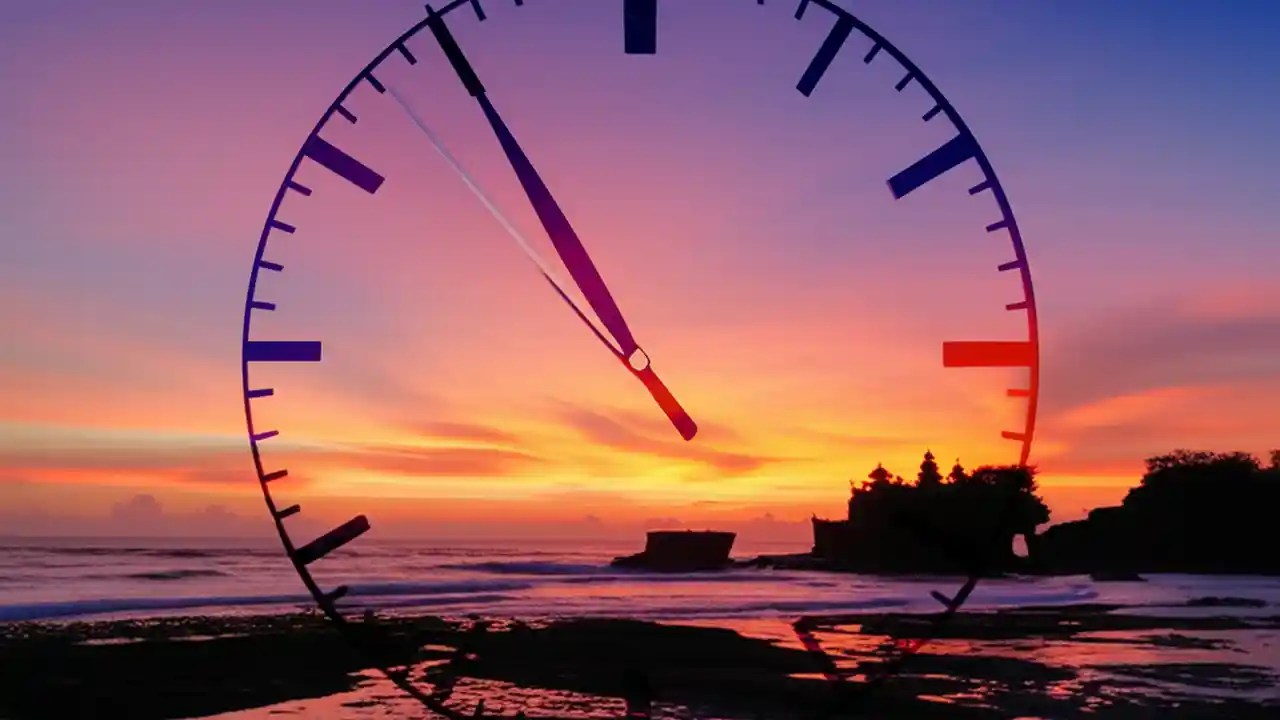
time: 4:54
